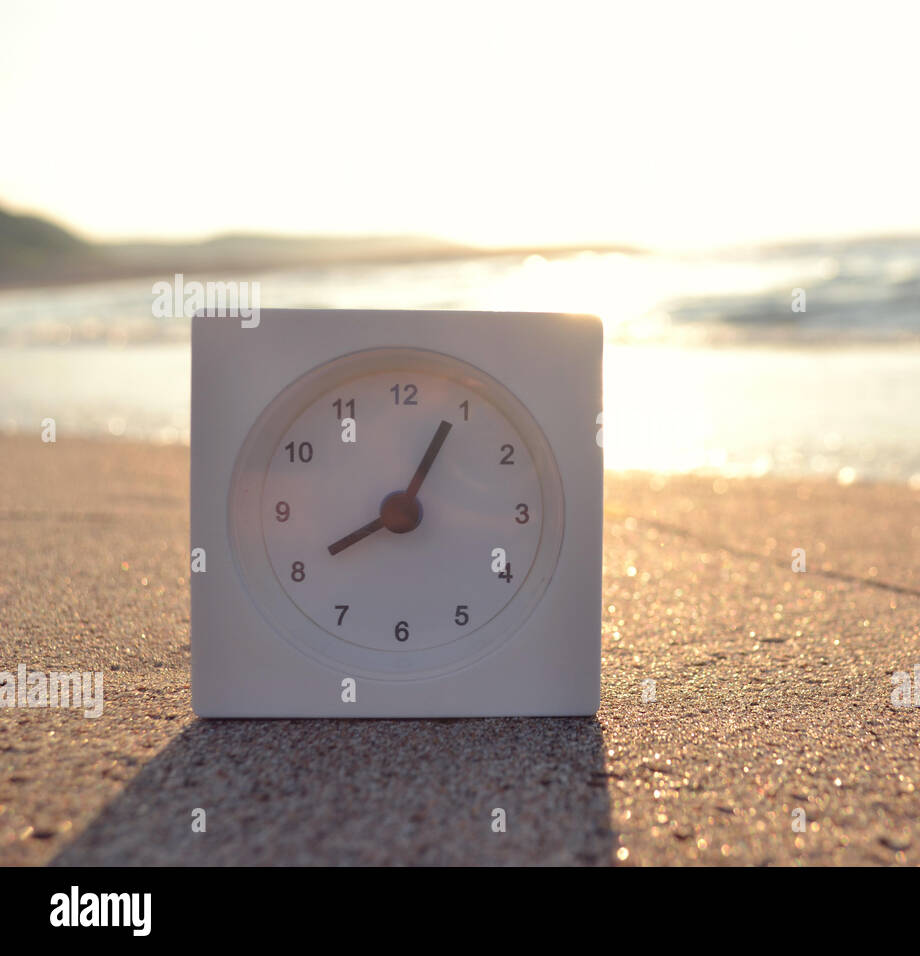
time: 8:04
